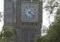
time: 4:22
